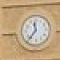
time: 11:36
